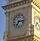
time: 7:15
